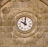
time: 10:00
